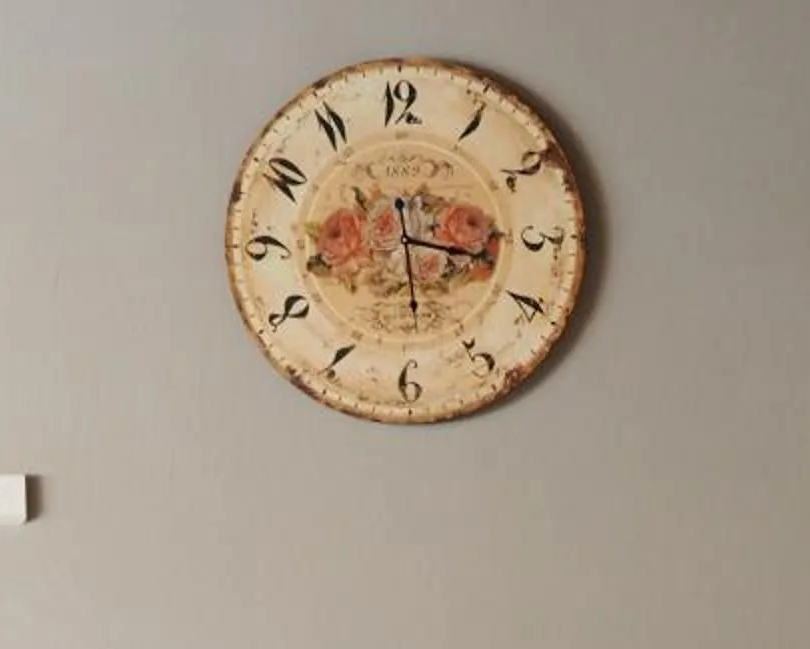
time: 3:28
